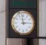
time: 2:58
